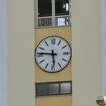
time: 5:46
